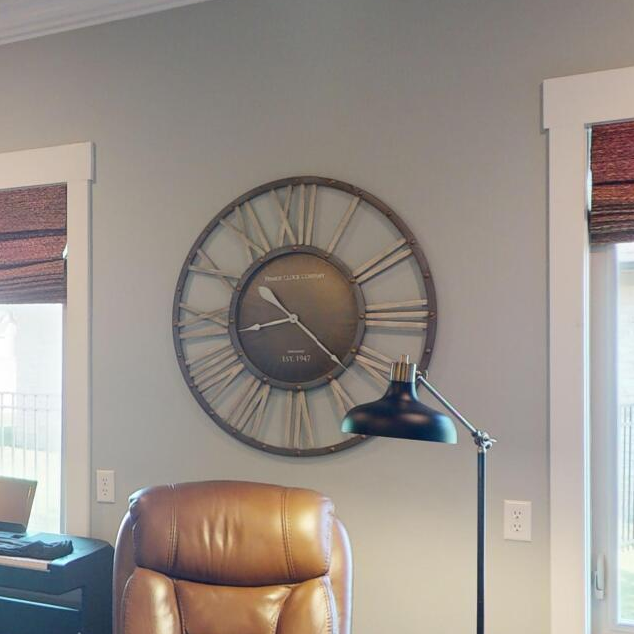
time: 10:22
